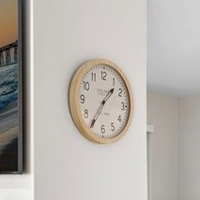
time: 1:35
